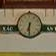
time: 6:30
